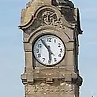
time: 5:54
